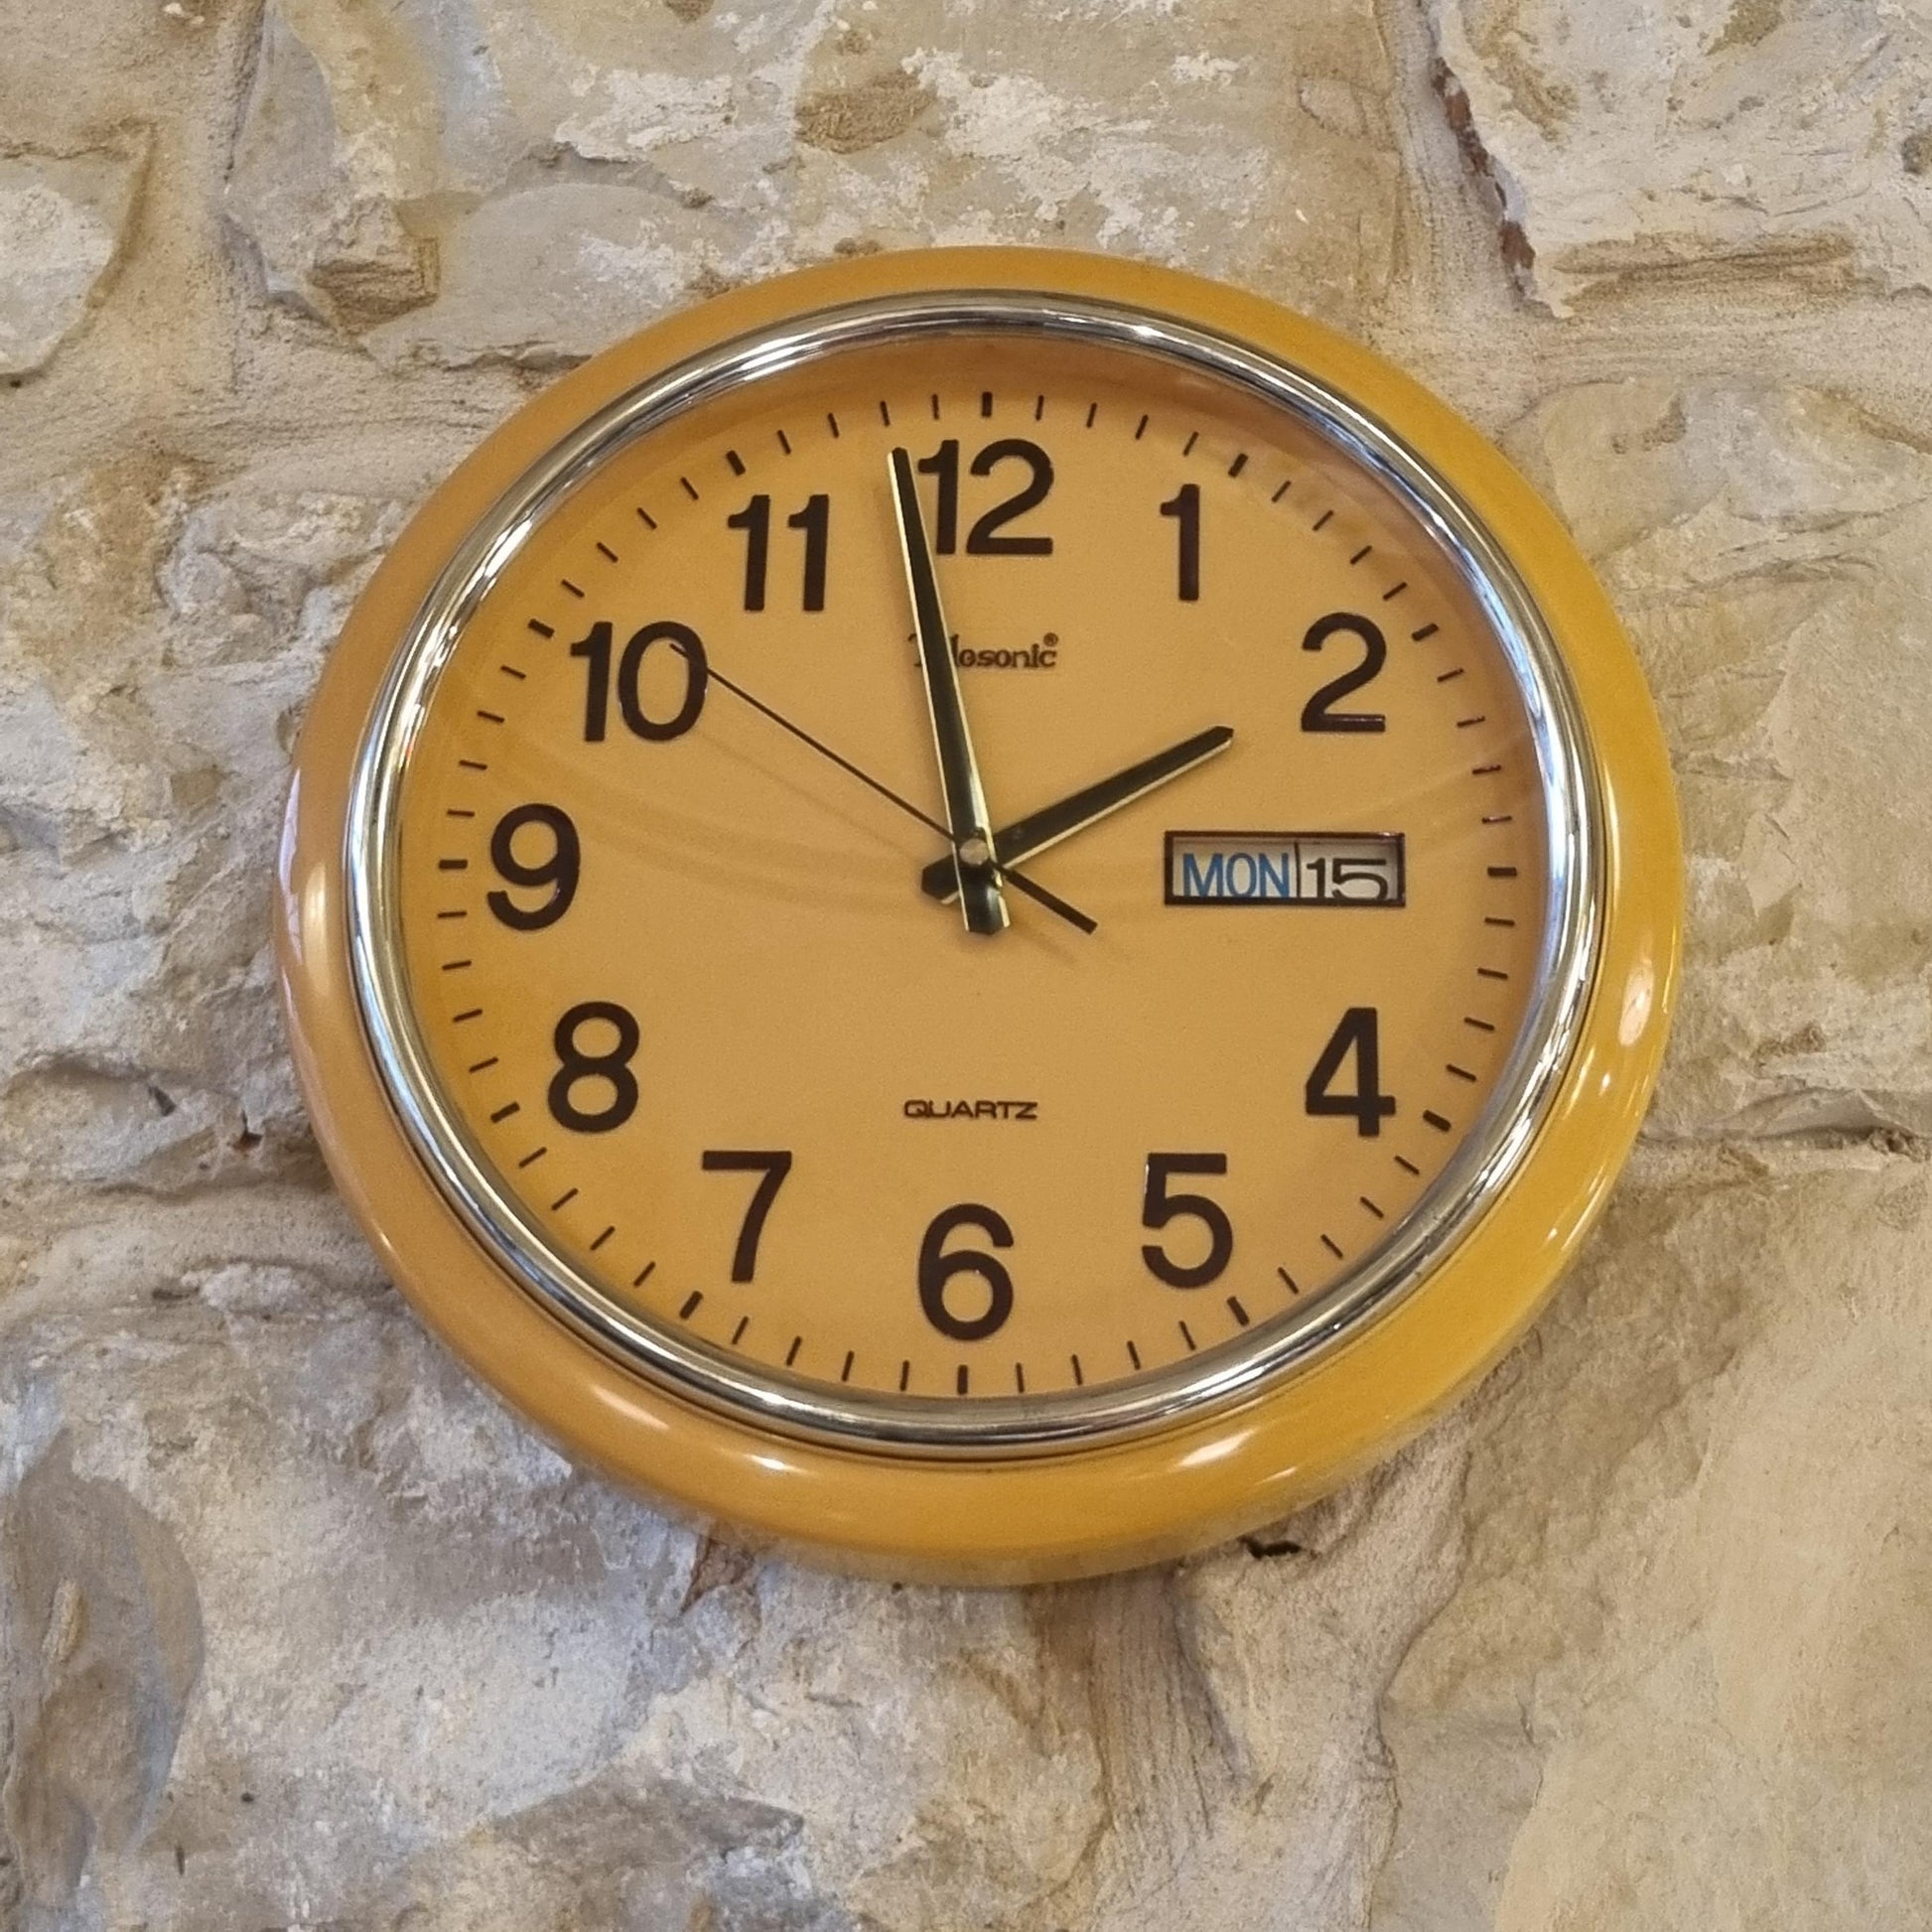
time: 1:58
